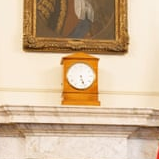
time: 5:26
